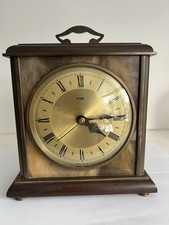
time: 4:15
